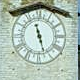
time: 11:27
